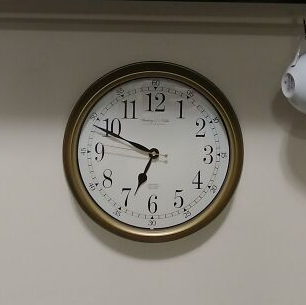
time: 6:48
